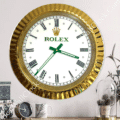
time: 3:36
